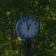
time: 12:57
